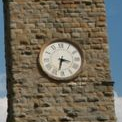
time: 3:32
